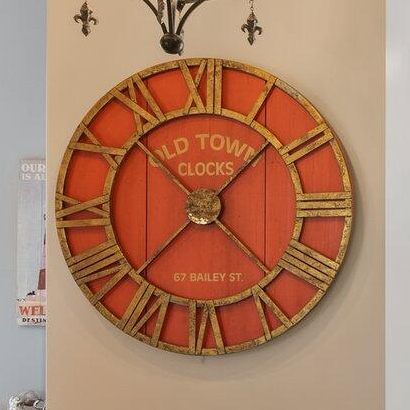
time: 1:37
